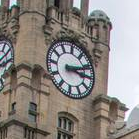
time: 3:11
